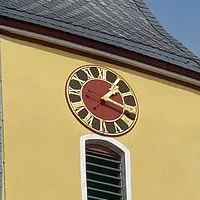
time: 1:16
